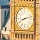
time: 8:12
